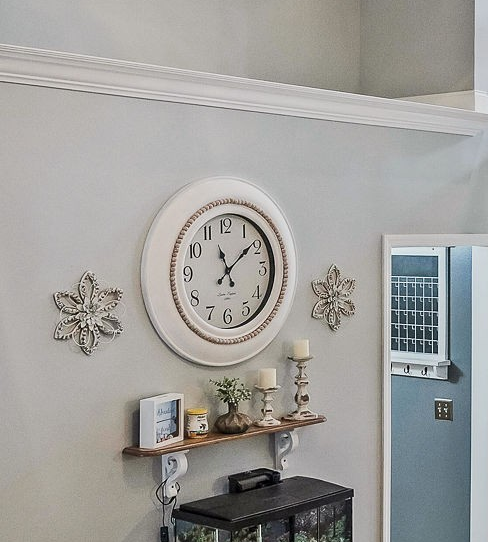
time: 11:08
